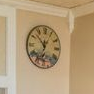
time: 10:32
